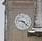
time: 9:22
